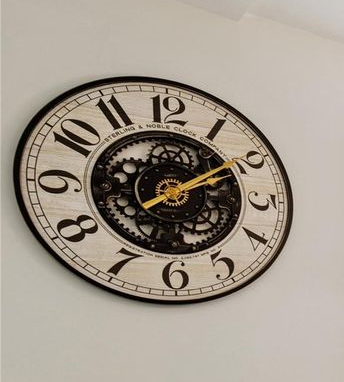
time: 2:09
